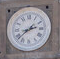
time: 2:38
